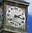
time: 2:17
